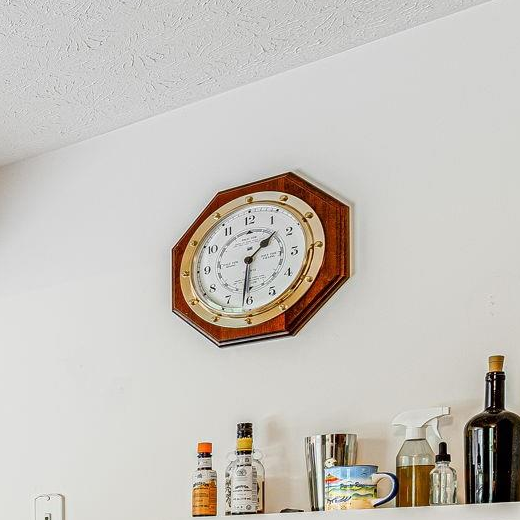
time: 1:31
